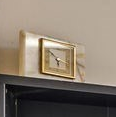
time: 5:51
